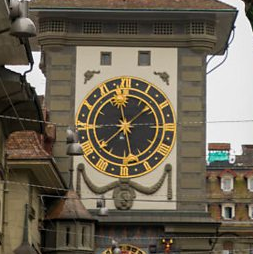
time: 11:38
